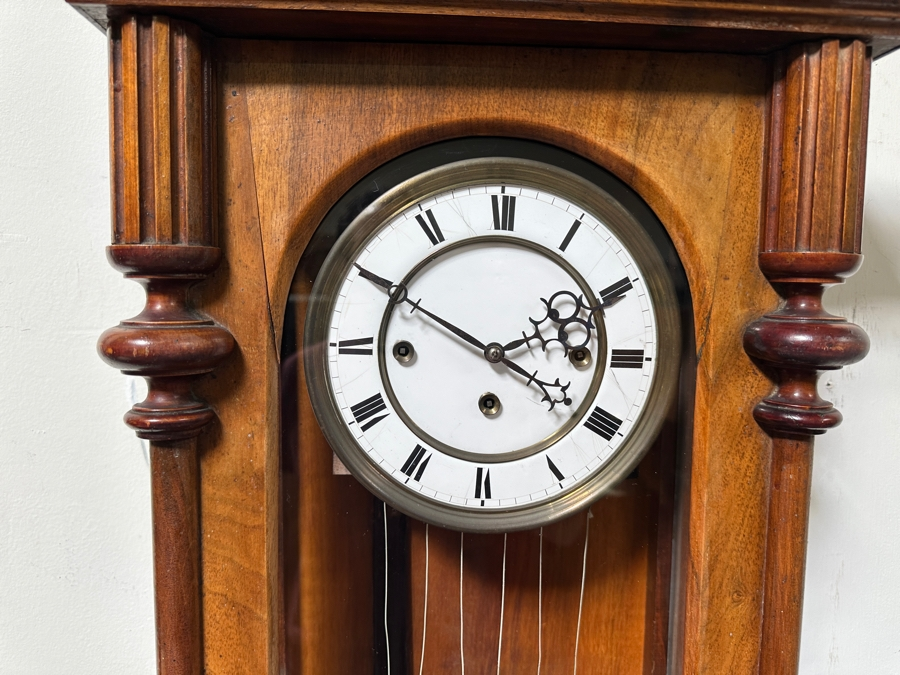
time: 3:49
